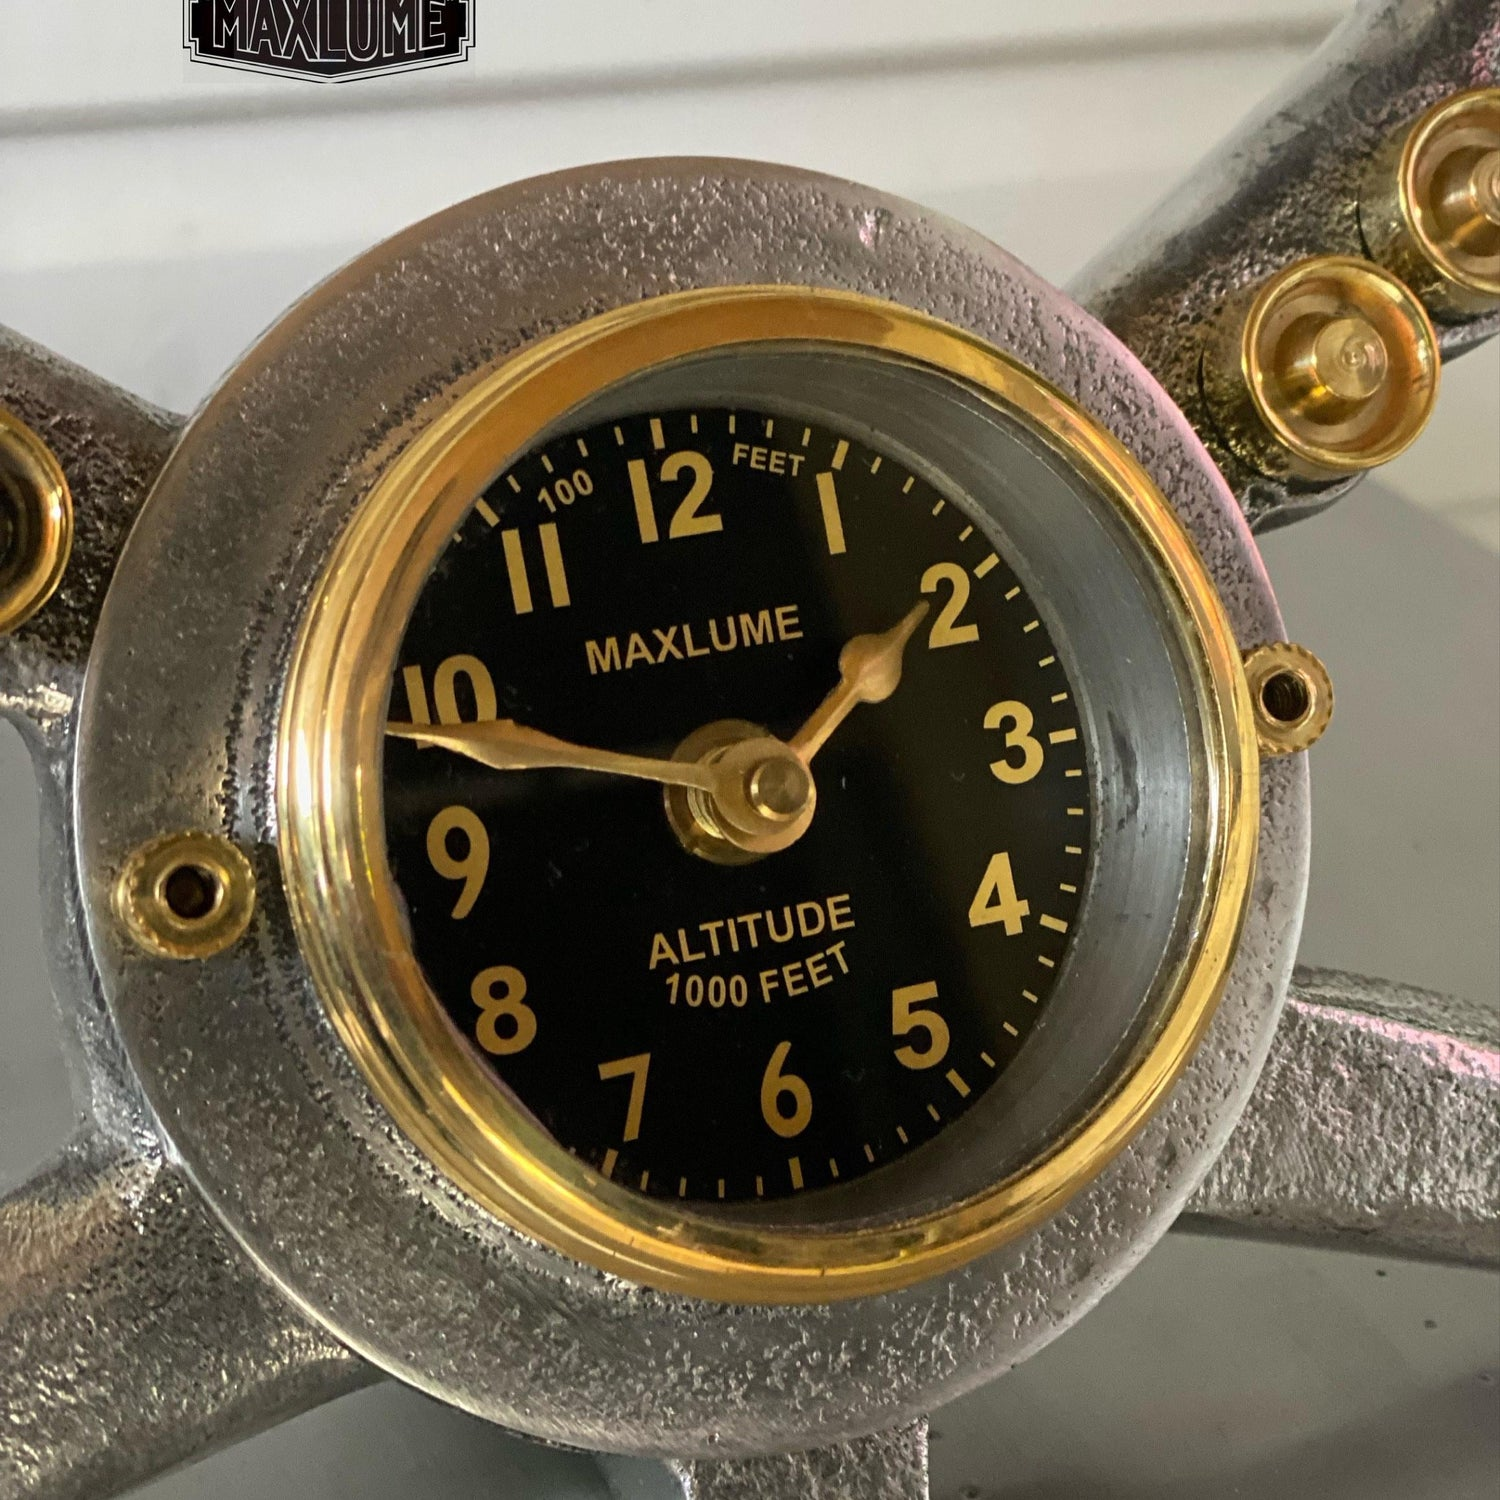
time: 1:48
